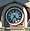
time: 4:35
